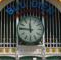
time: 11:46
